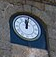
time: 12:02
